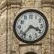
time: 3:37
